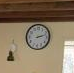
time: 2:12
